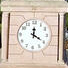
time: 4:00
